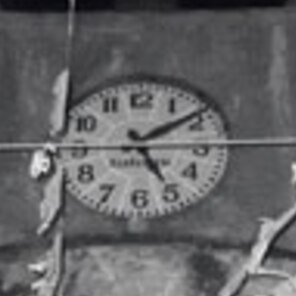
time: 5:09
